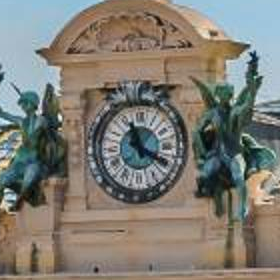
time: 11:19
